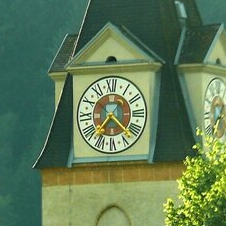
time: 7:22
